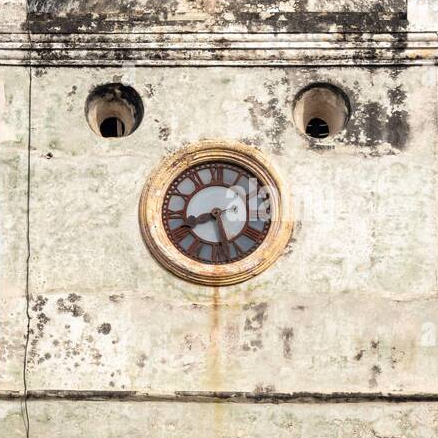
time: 8:27
